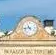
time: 4:42
